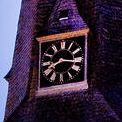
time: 8:16
